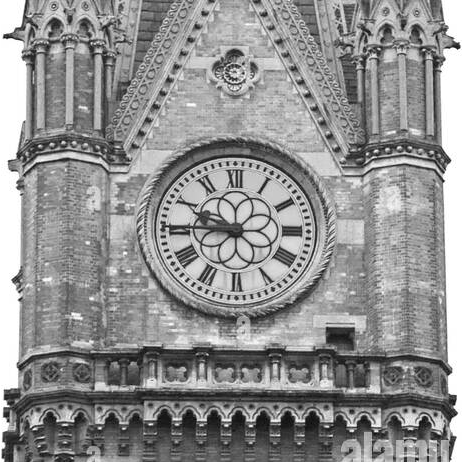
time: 9:45
